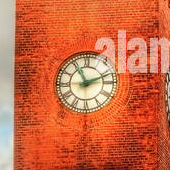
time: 11:11
